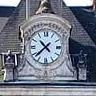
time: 10:37
